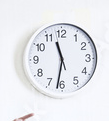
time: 11:31
